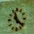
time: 11:21
